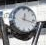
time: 12:17
